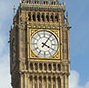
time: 4:06
